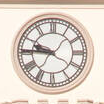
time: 9:45
